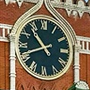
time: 10:41
